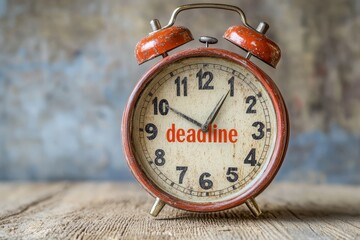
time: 10:05
